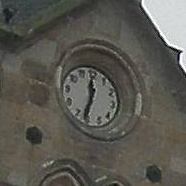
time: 11:32
